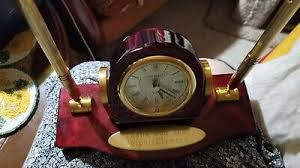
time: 5:21
